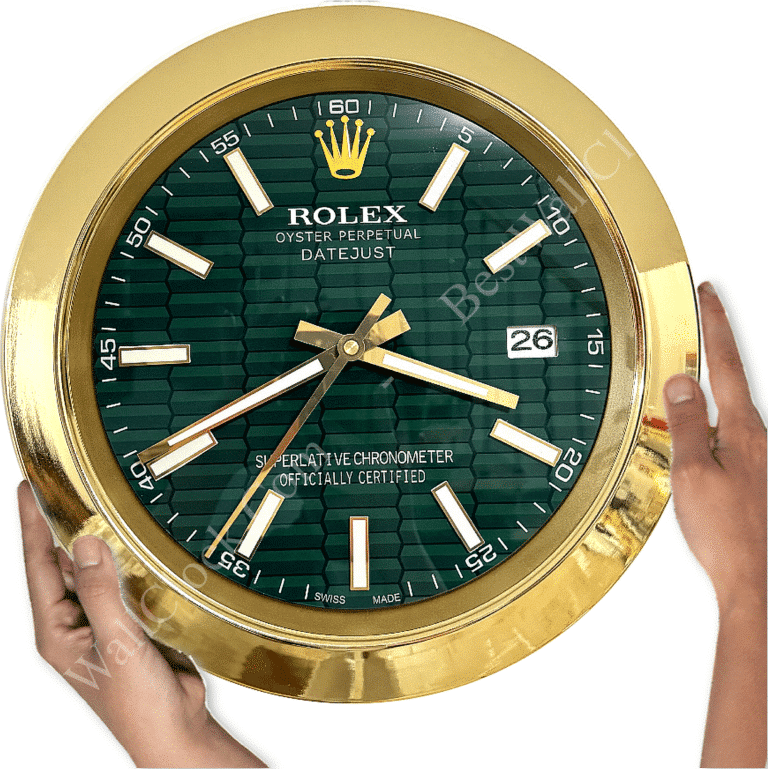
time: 3:40
